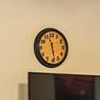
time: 11:28
